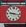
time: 9:17
